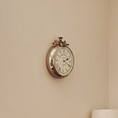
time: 2:19
